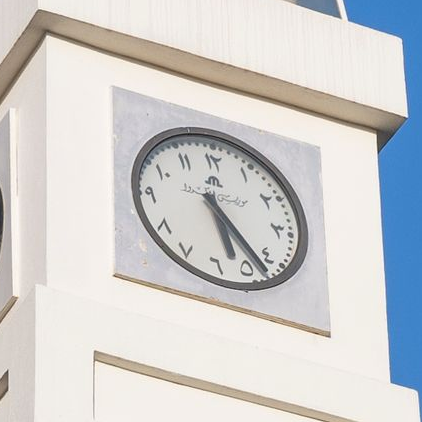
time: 5:22
